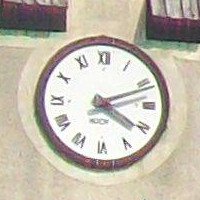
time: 4:11
